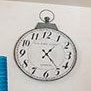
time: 1:23
